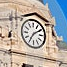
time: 7:09
